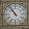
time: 10:53
